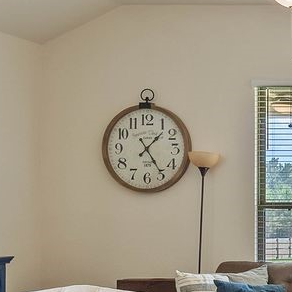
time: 1:24
